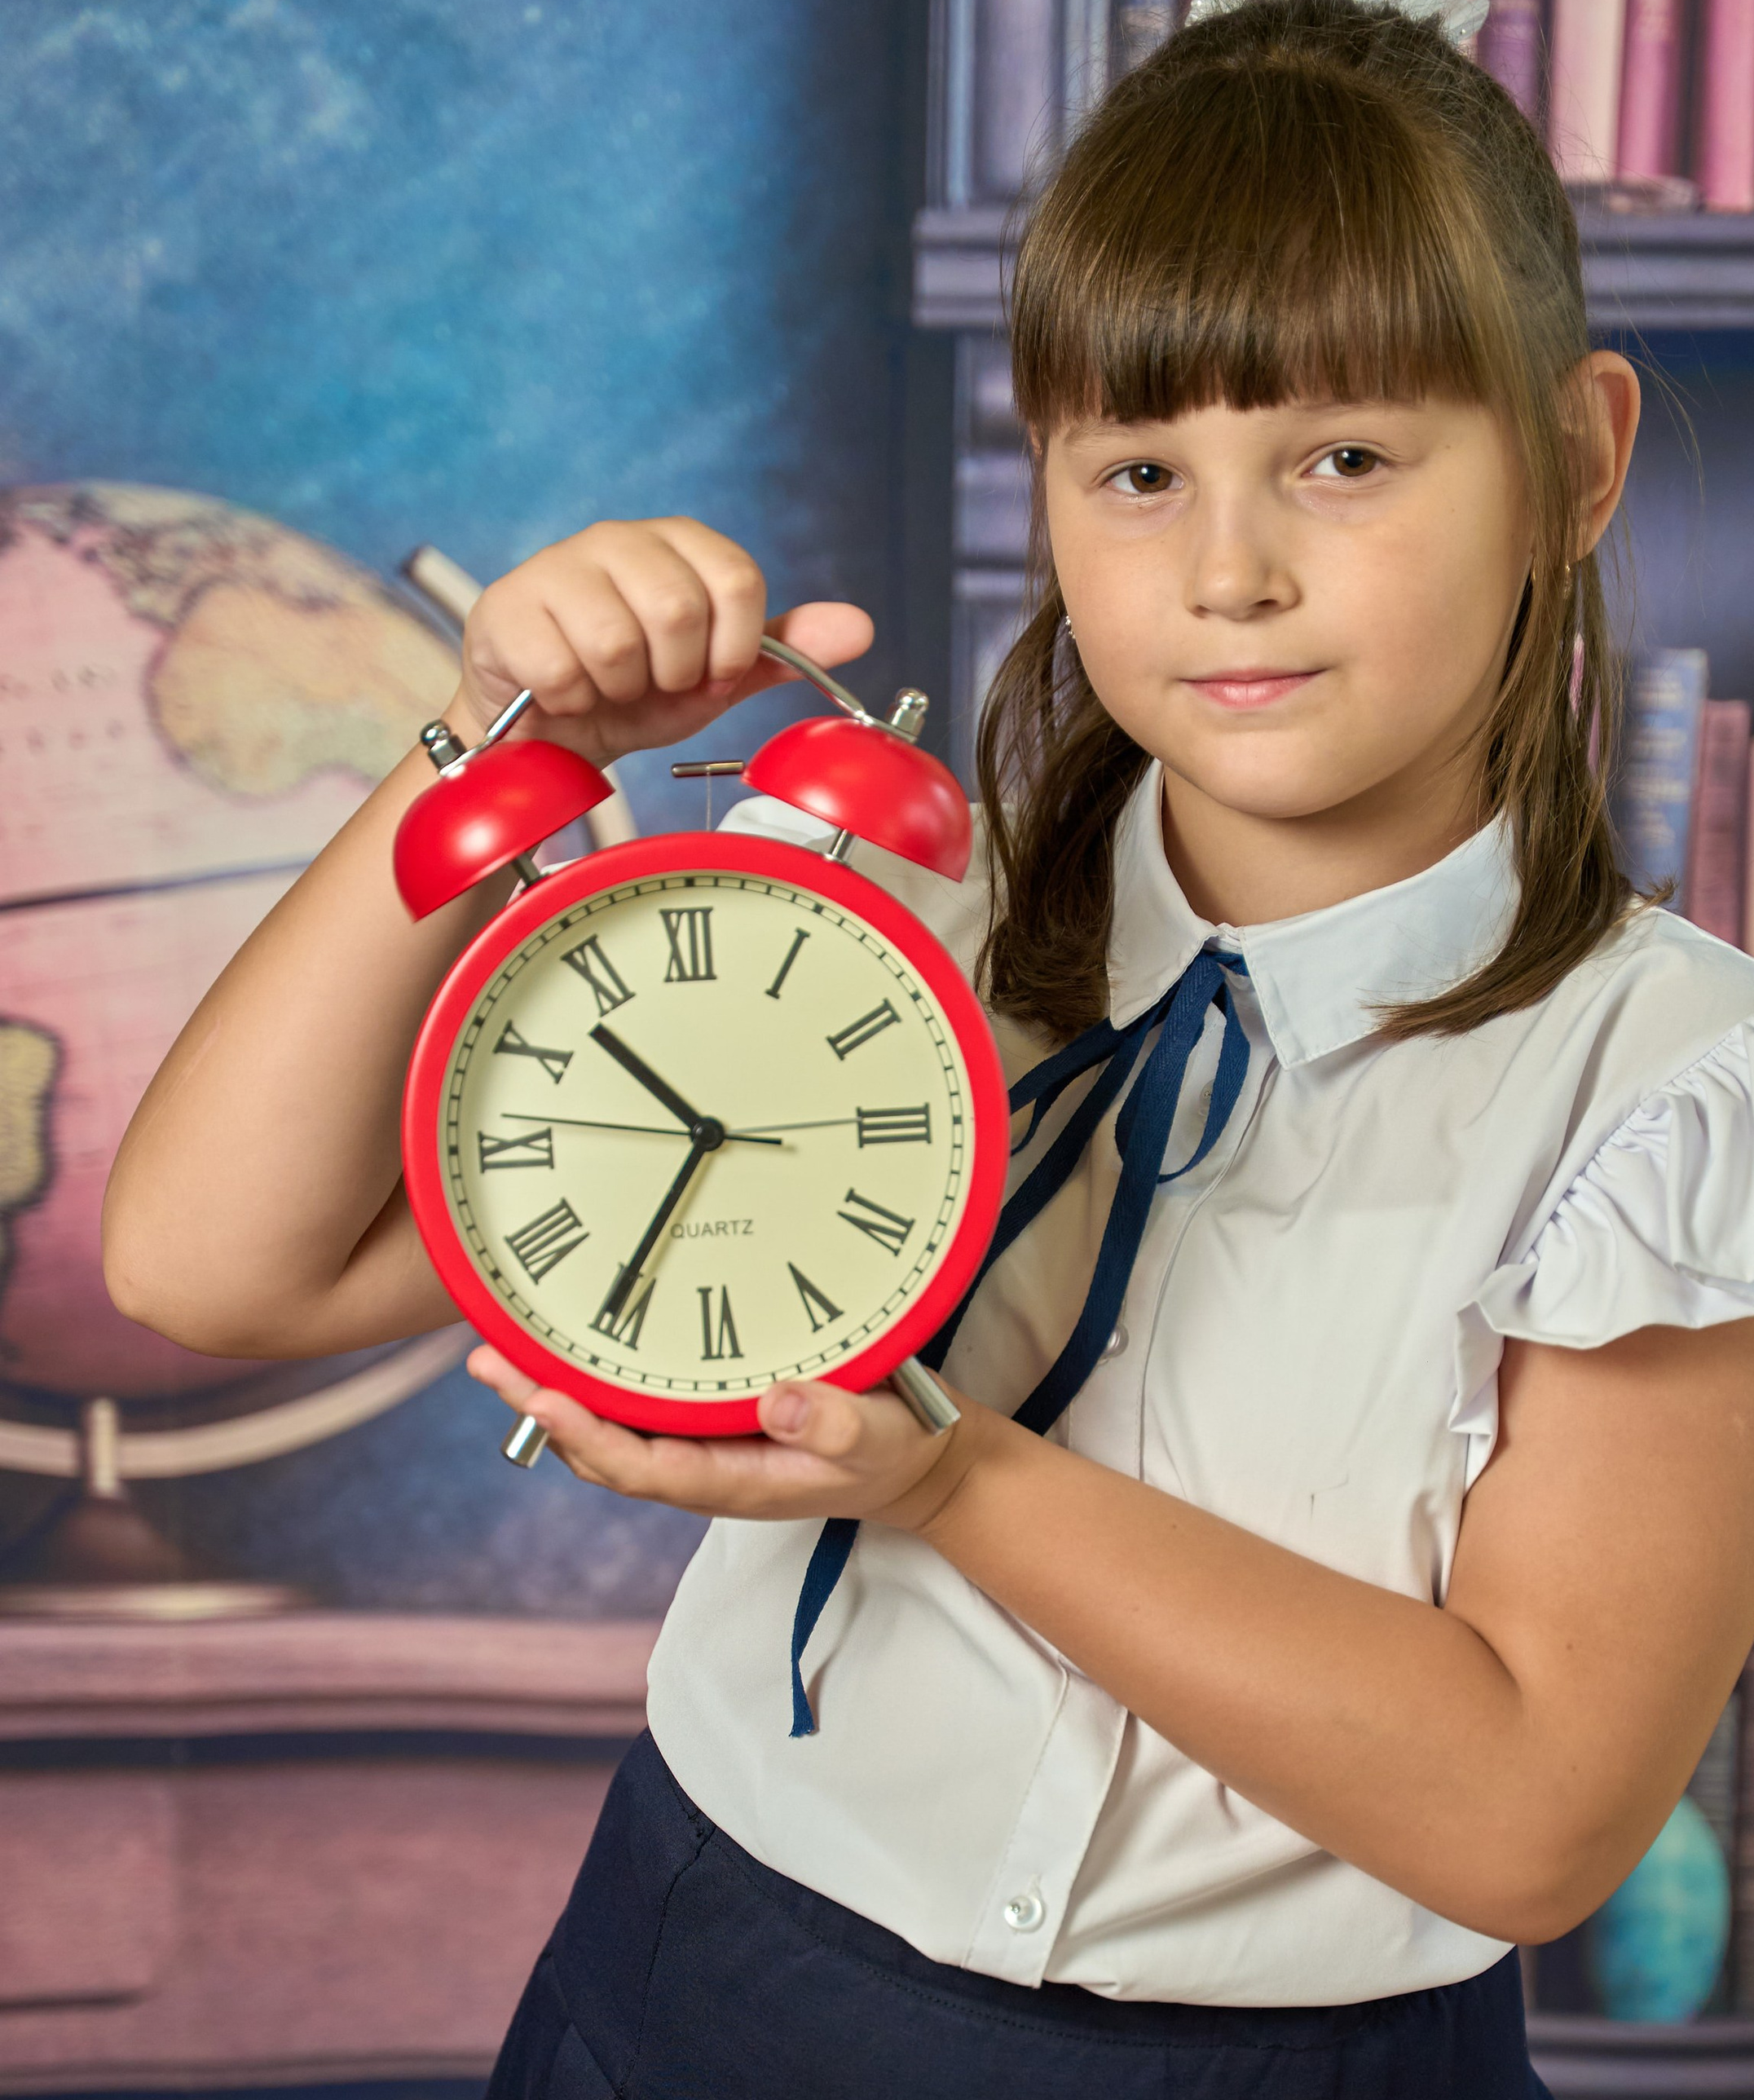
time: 10:35
